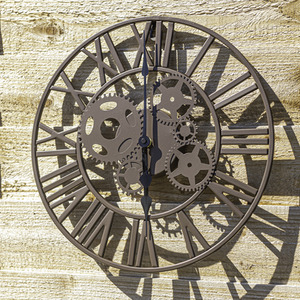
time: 5:59
